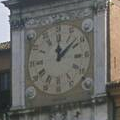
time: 12:08
